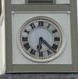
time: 6:22
